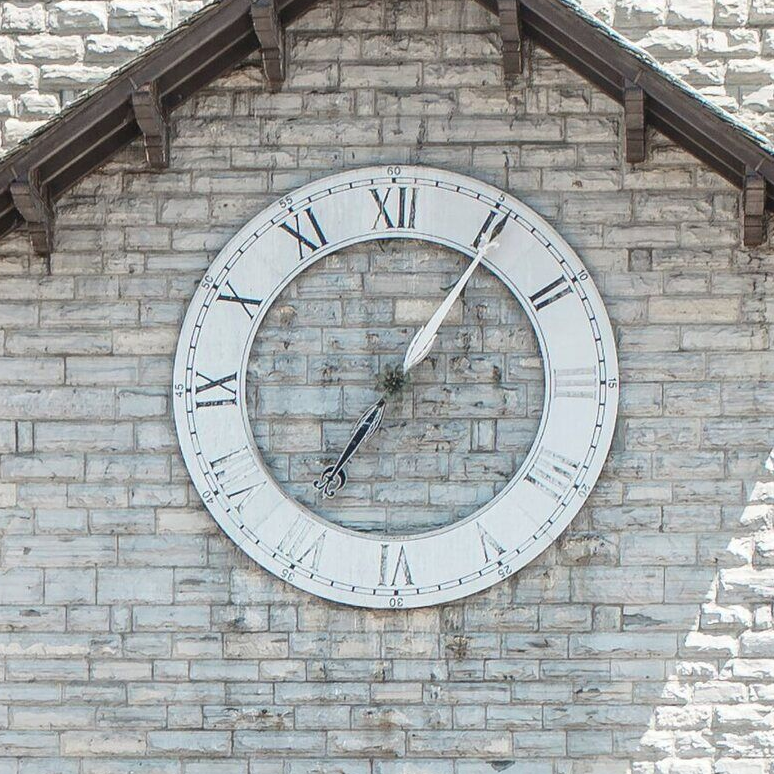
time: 7:06
